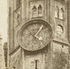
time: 4:04
